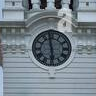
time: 5:58
